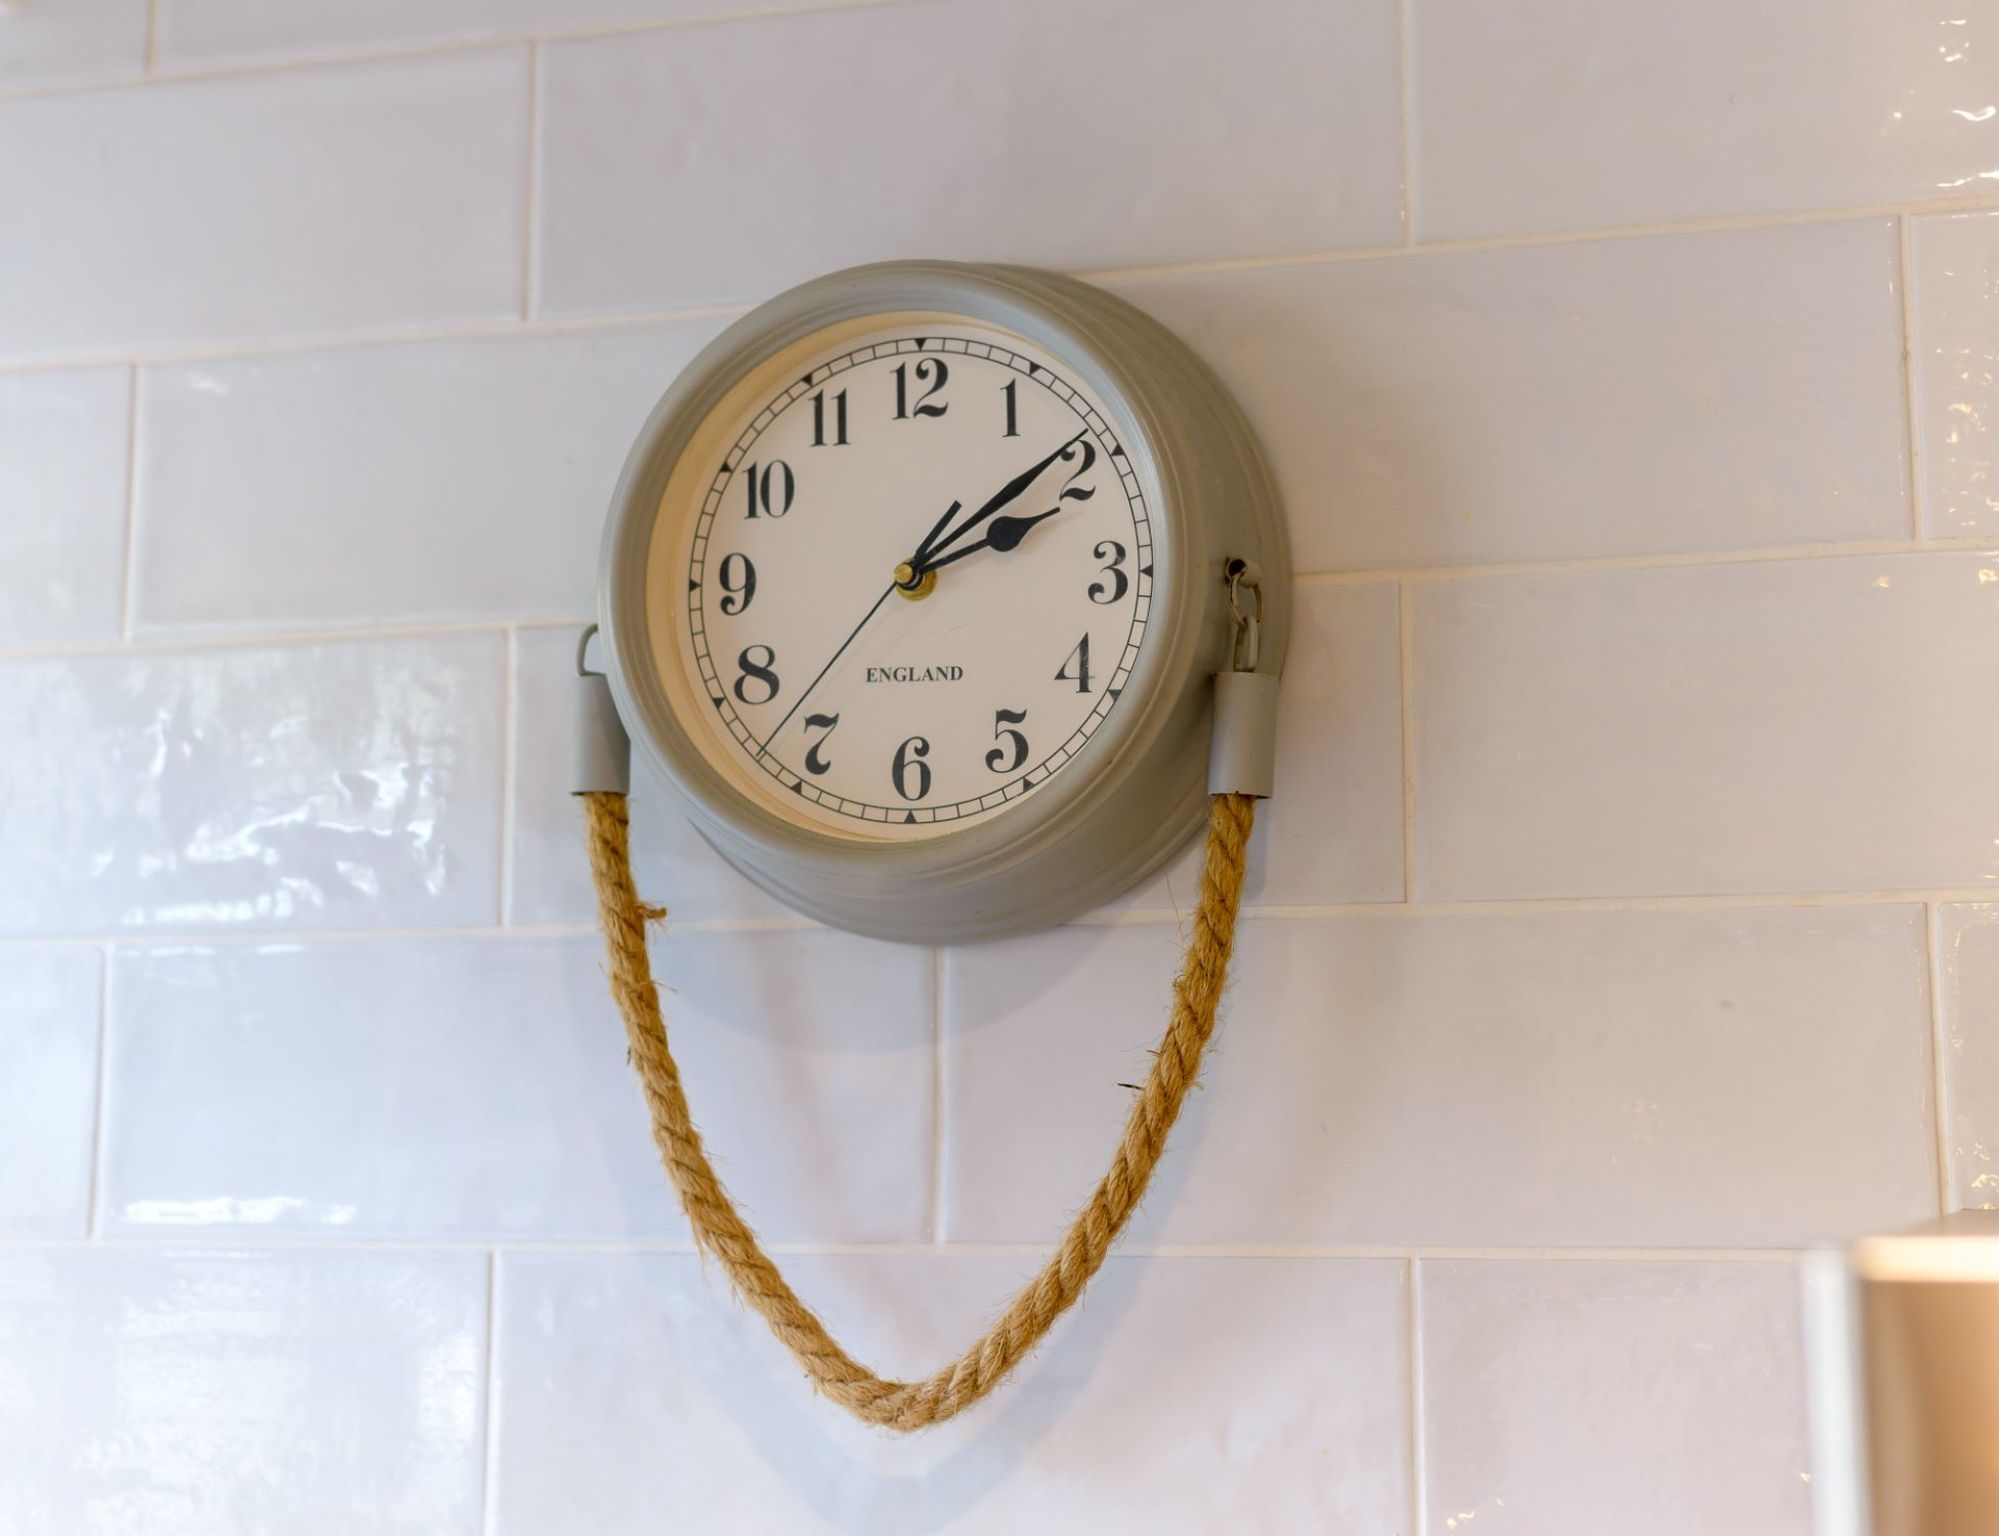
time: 2:08
